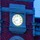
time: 8:38
